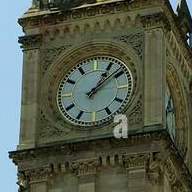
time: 1:08
